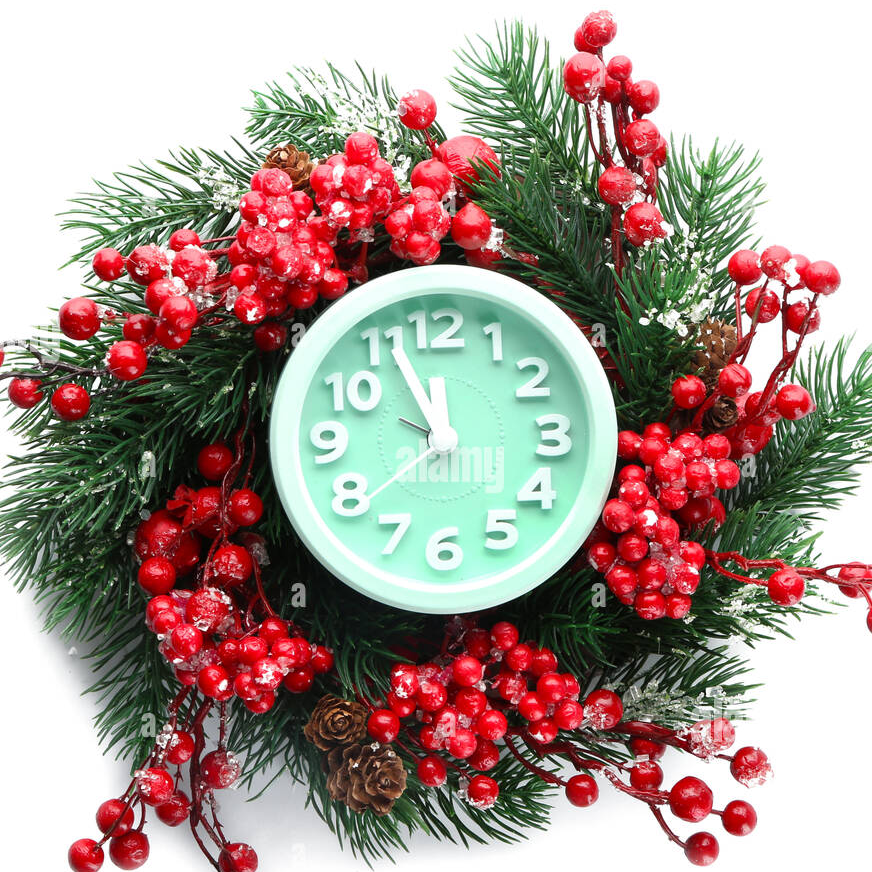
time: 11:55
